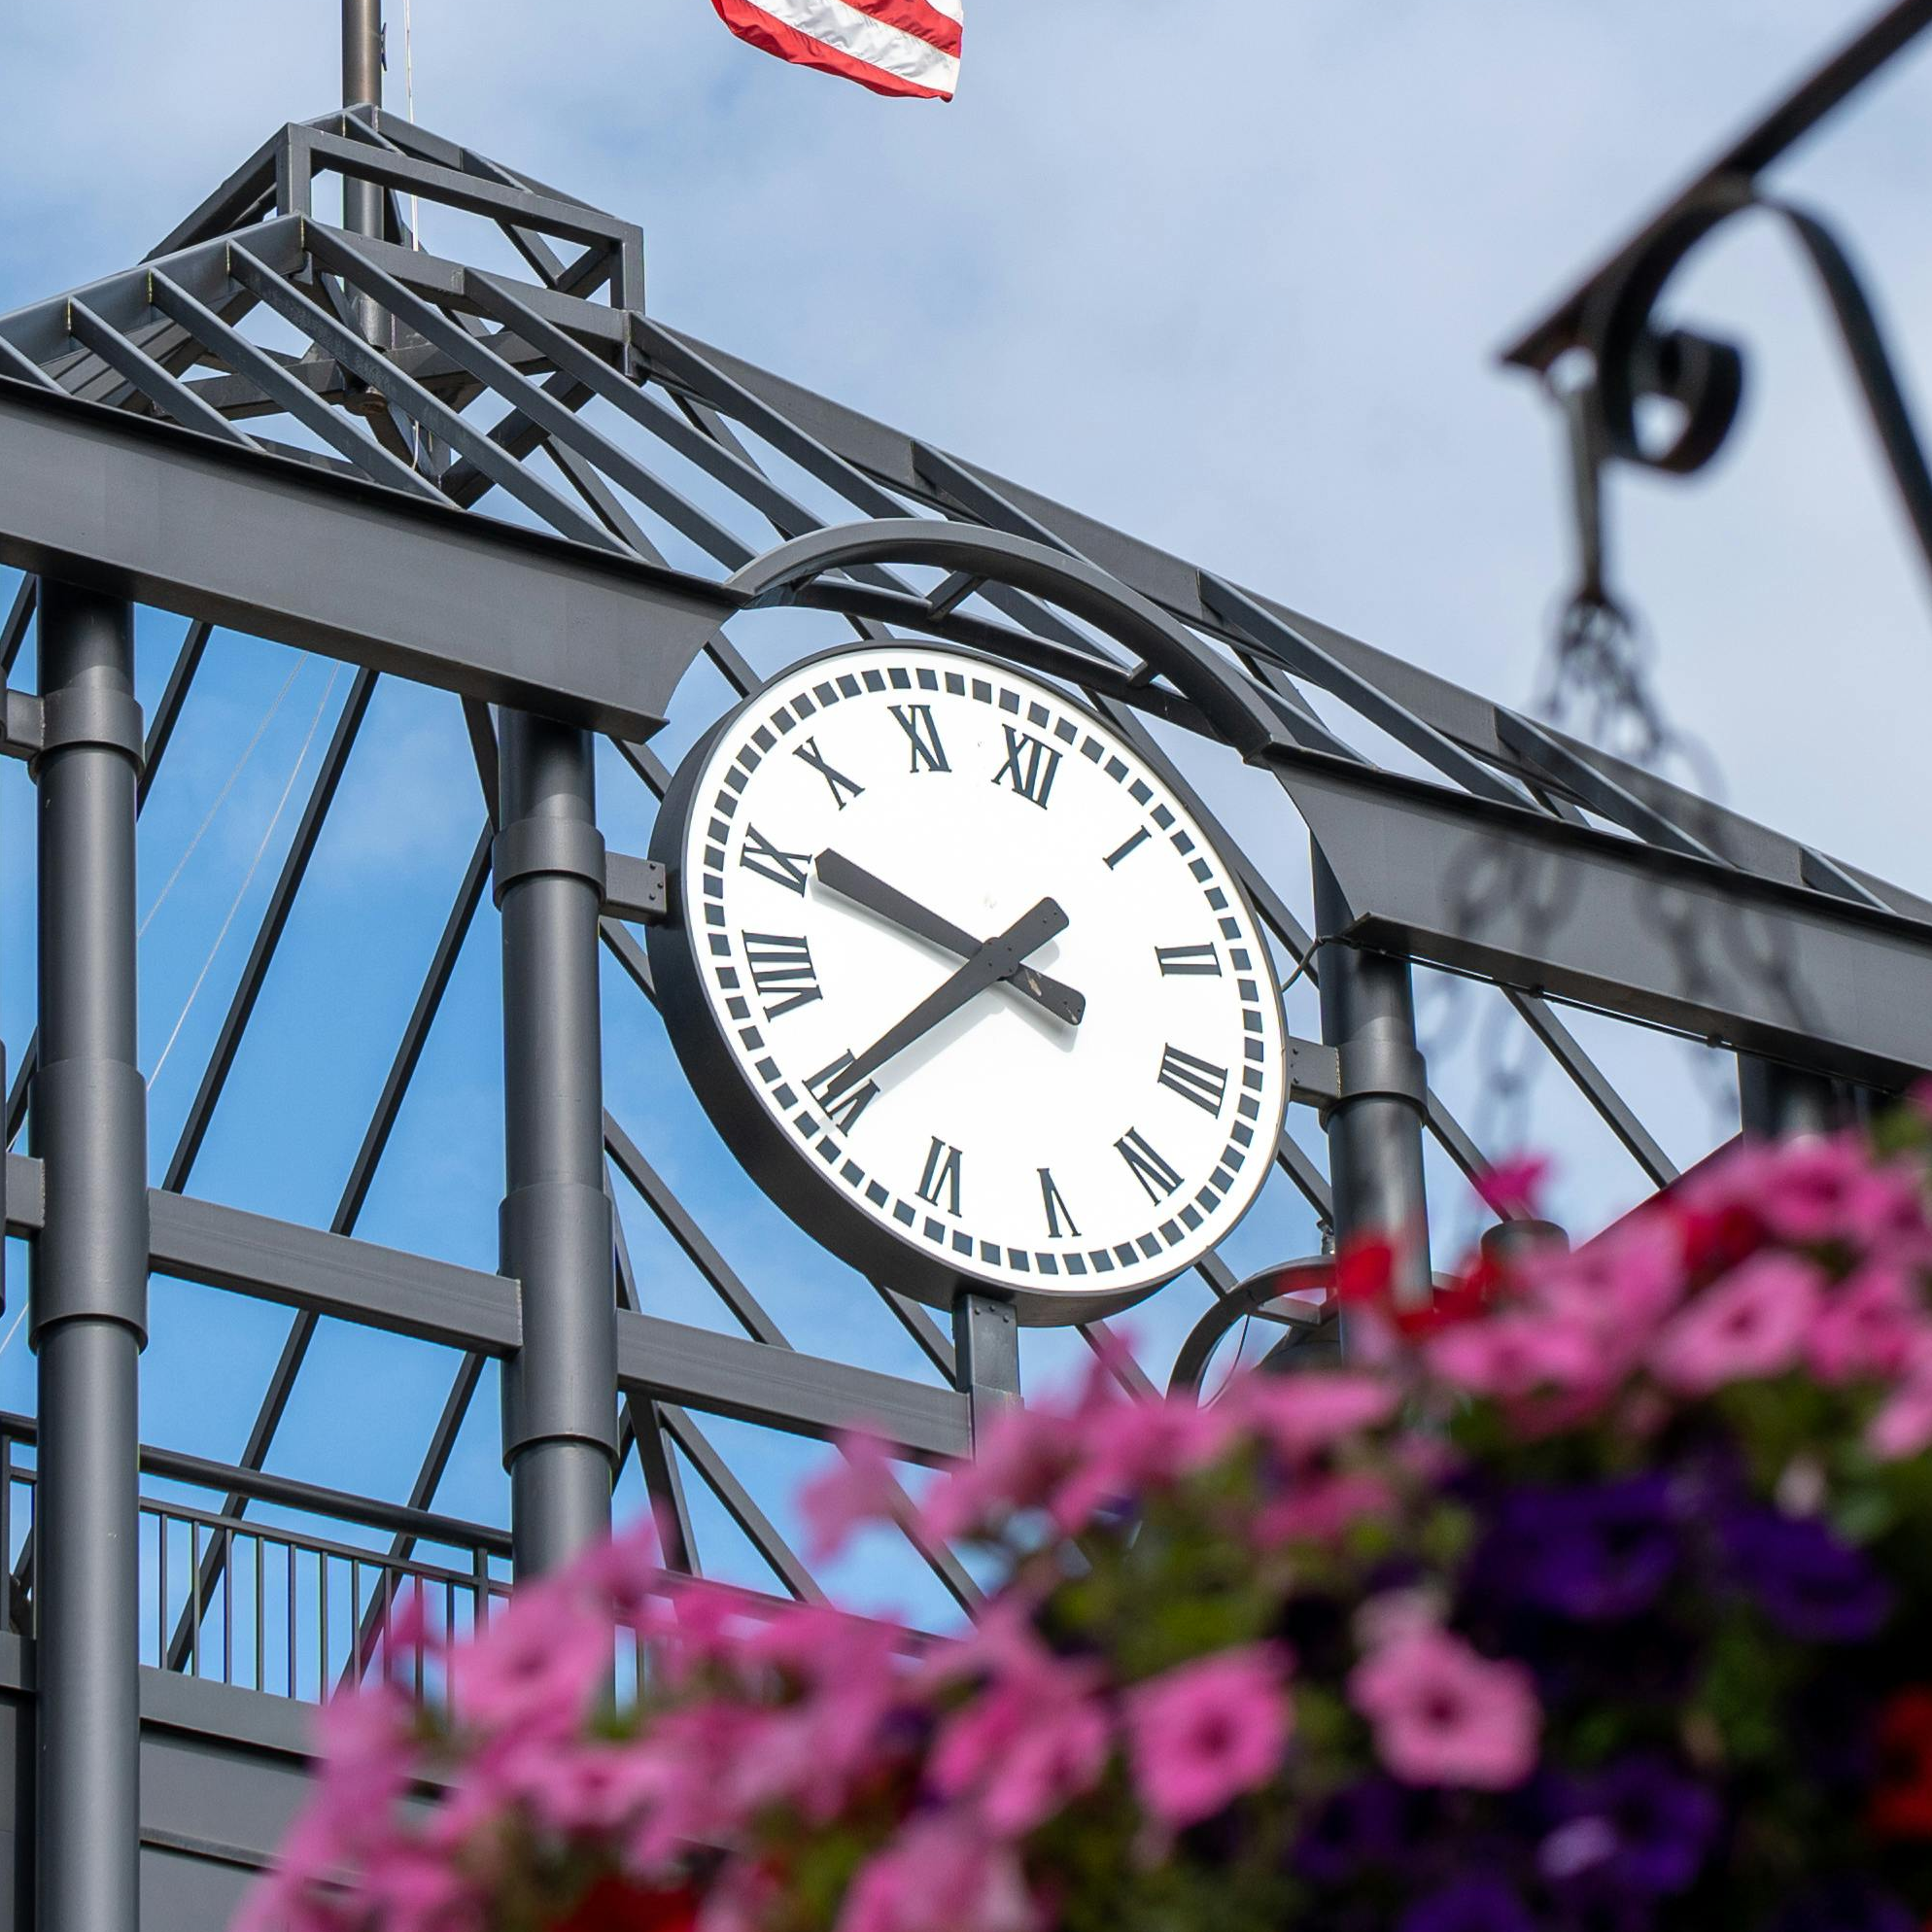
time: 9:35
